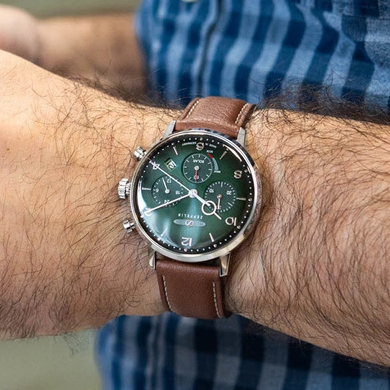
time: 3:40
